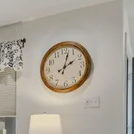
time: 2:02
